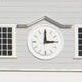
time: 3:00
